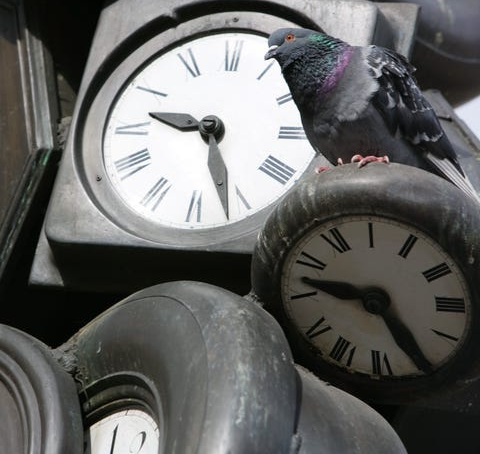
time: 9:26
